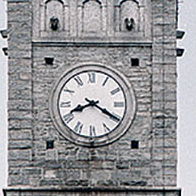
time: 8:20
